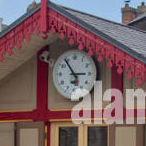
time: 2:53
